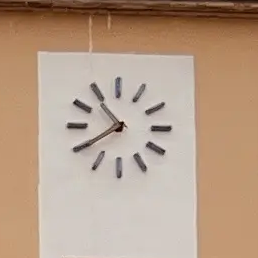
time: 10:39
